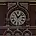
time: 11:07
